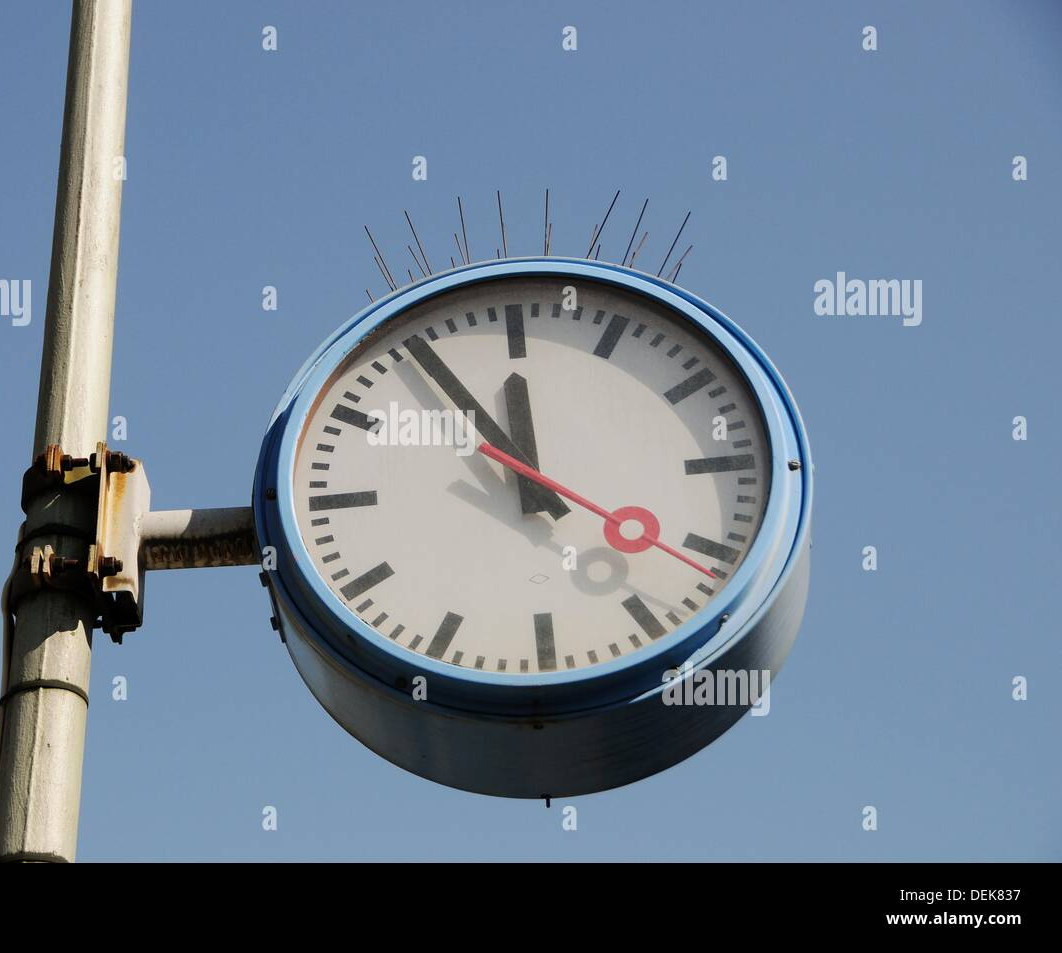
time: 11:54
